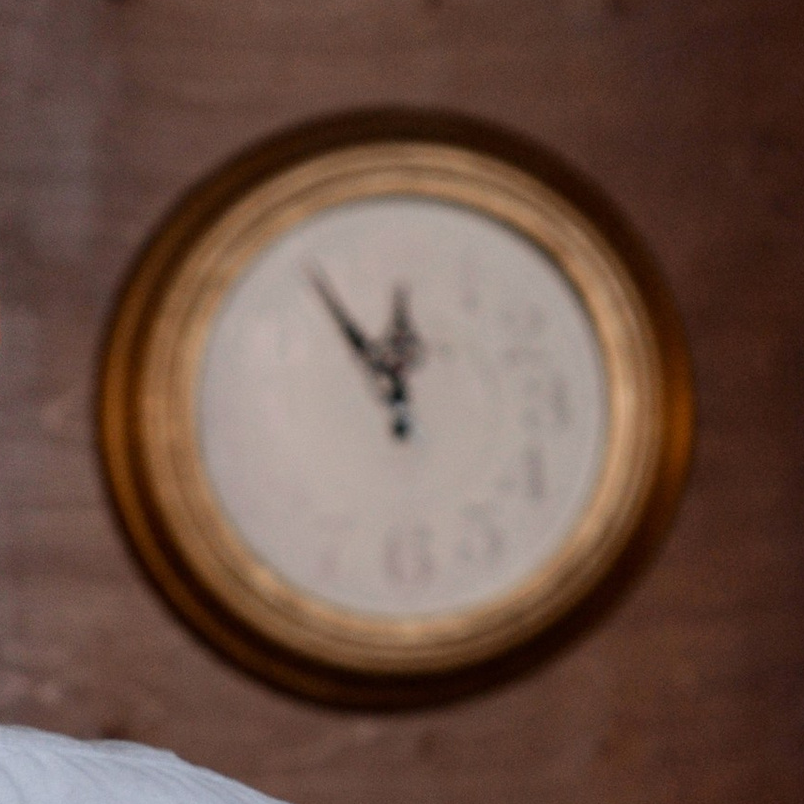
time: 11:54
